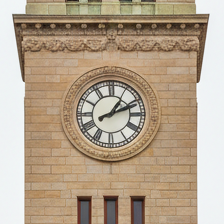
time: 1:11
